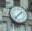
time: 1:37
